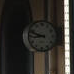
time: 8:48
